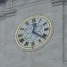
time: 12:21
